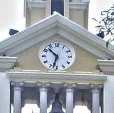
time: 10:32
